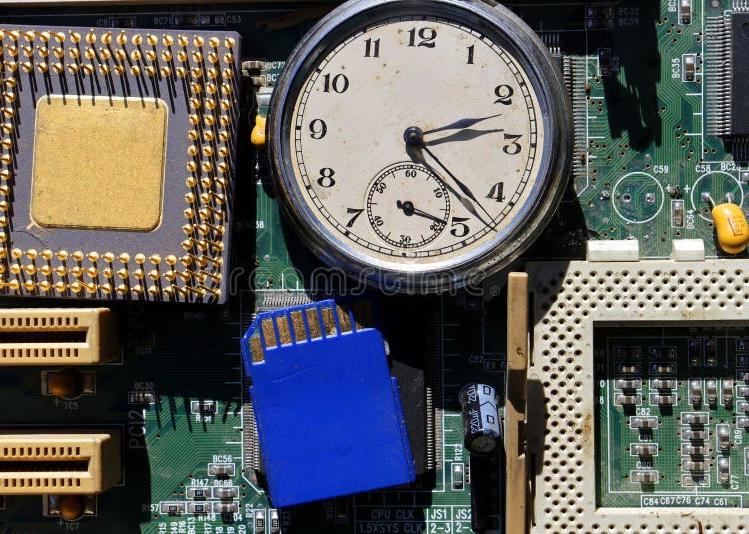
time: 2:22
